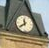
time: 11:38
